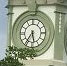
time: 5:35
